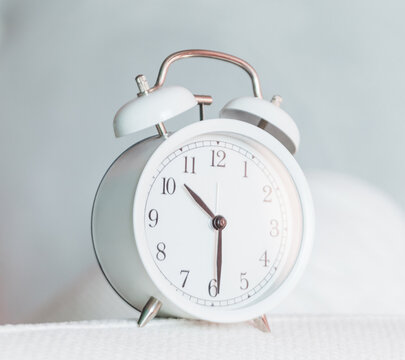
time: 10:29
